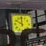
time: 11:51
